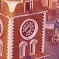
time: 7:37
